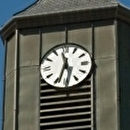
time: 11:33
